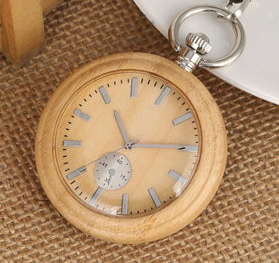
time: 11:14
